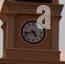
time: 4:42
